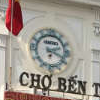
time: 2:18
